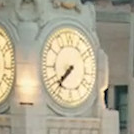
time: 7:37
